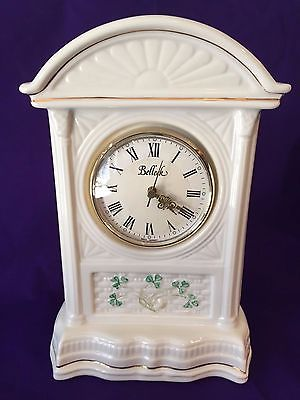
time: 4:01
